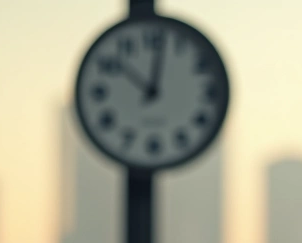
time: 10:01
